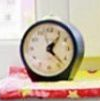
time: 1:22
